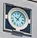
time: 10:05
